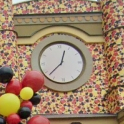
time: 12:37
